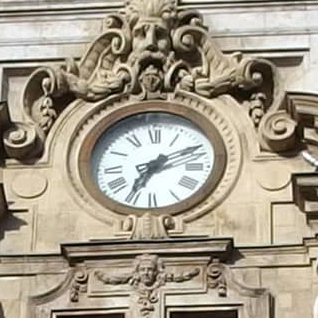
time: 7:10
